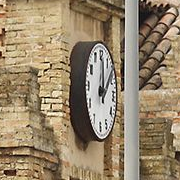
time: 12:07
